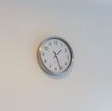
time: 1:26
